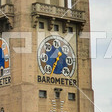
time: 1:35
